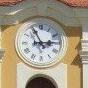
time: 2:55
